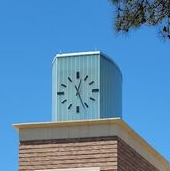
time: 12:26
